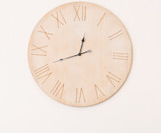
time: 12:41
